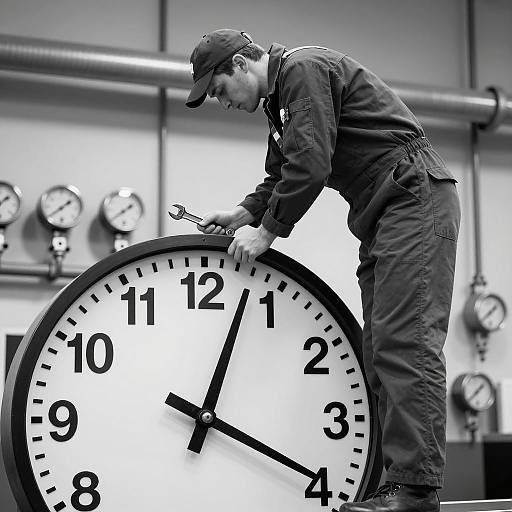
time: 4:03
